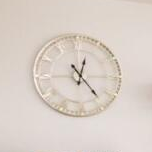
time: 12:23
